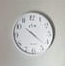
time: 4:22
